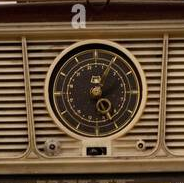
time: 1:05
